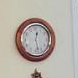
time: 12:28
